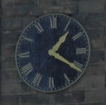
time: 1:20
